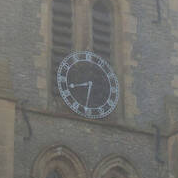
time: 8:32
